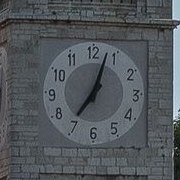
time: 7:03
